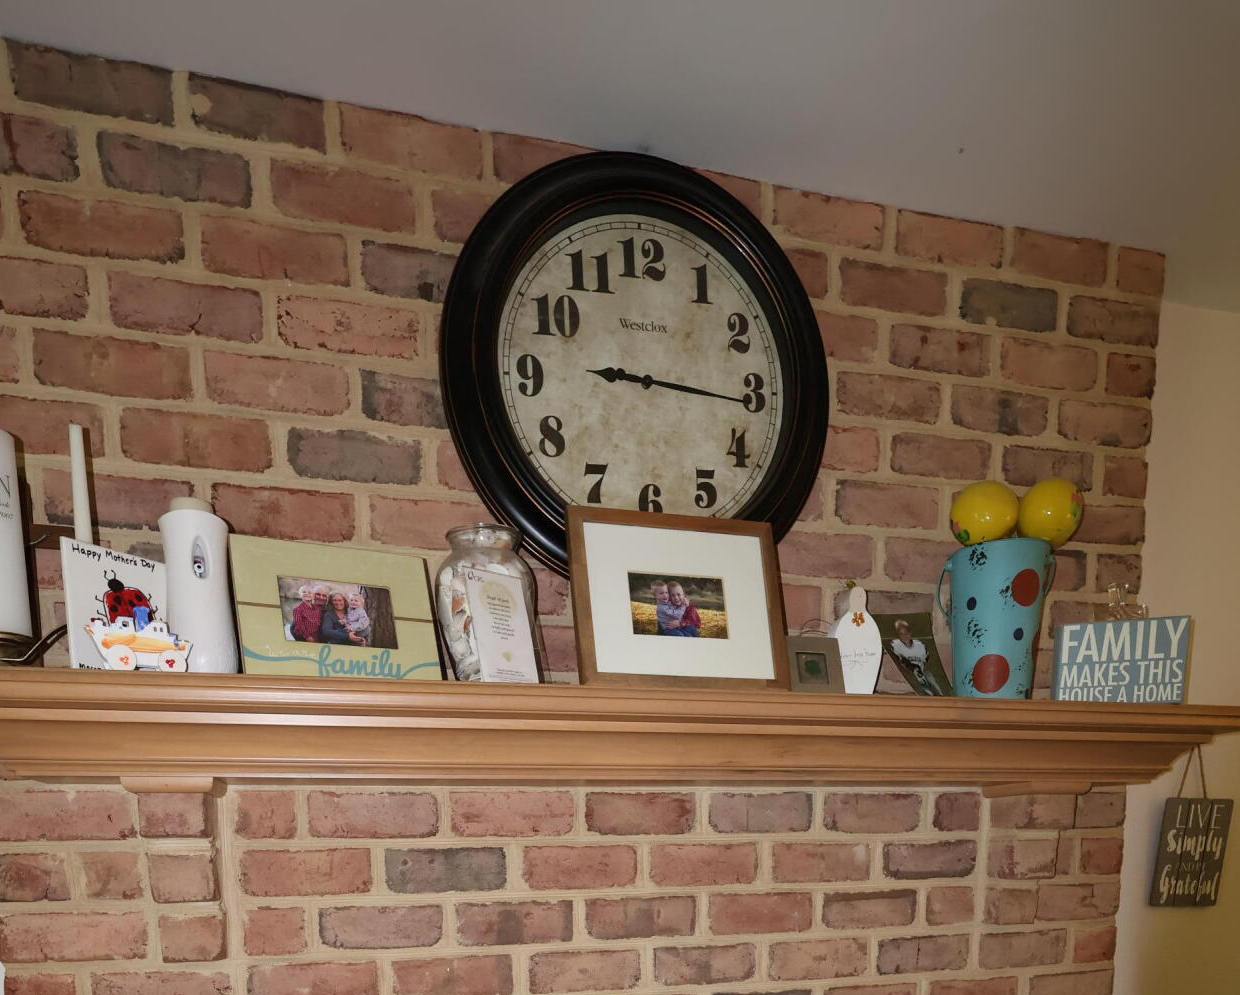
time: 9:15
